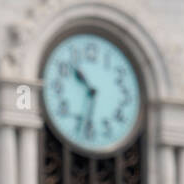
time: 10:32
